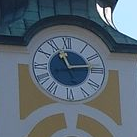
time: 11:13
